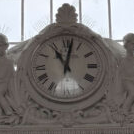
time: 11:01
